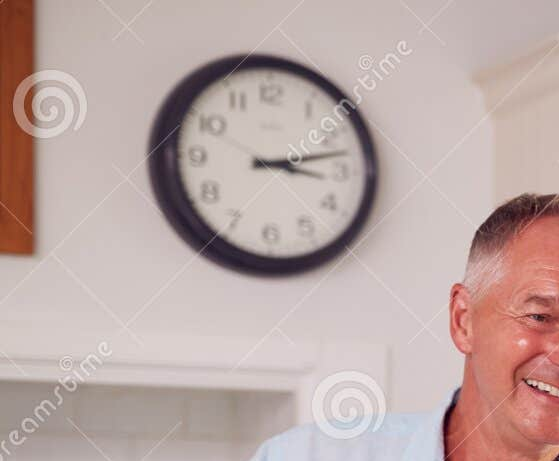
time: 3:12
